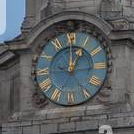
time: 12:59
